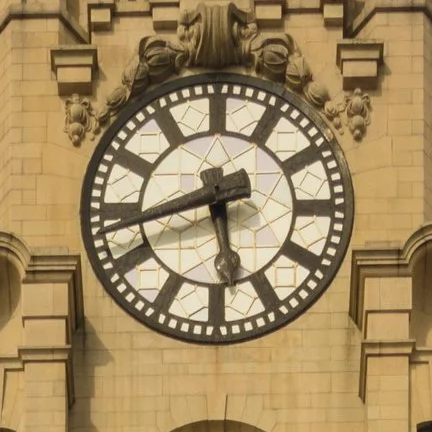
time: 5:42
